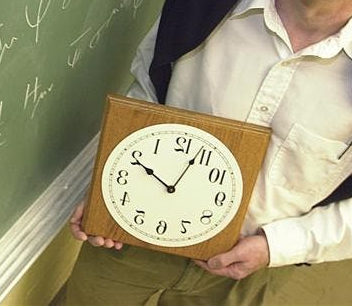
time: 10:03
